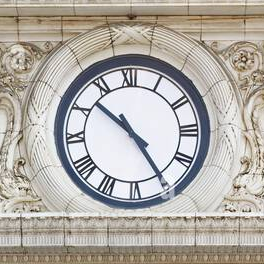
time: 10:24
